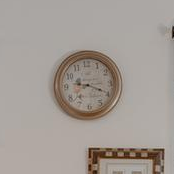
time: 9:19
